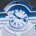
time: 10:17
